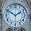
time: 1:50
